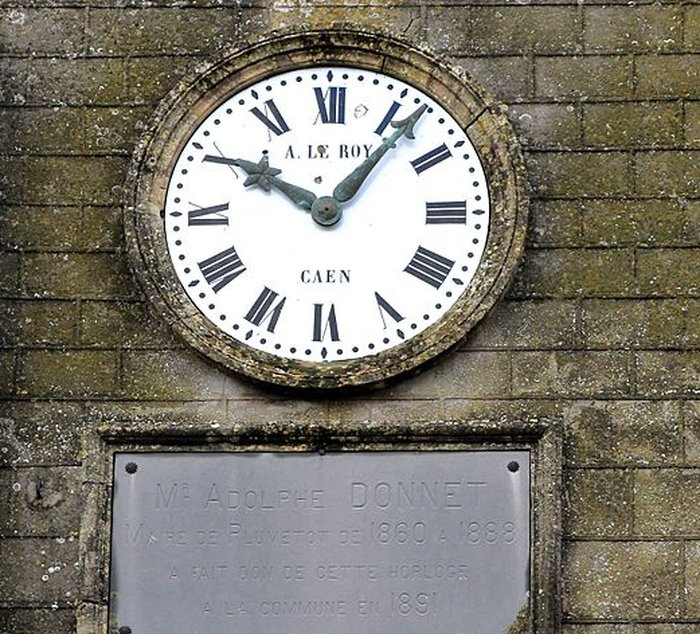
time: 10:06
